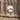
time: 3:40
